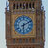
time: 6:10
